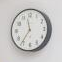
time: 11:36
